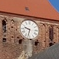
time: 9:32
